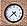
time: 4:37
